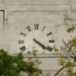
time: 4:21
